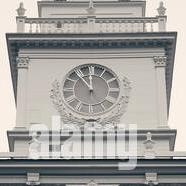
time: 11:53
